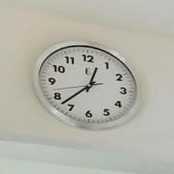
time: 12:37
